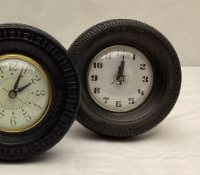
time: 12:01
